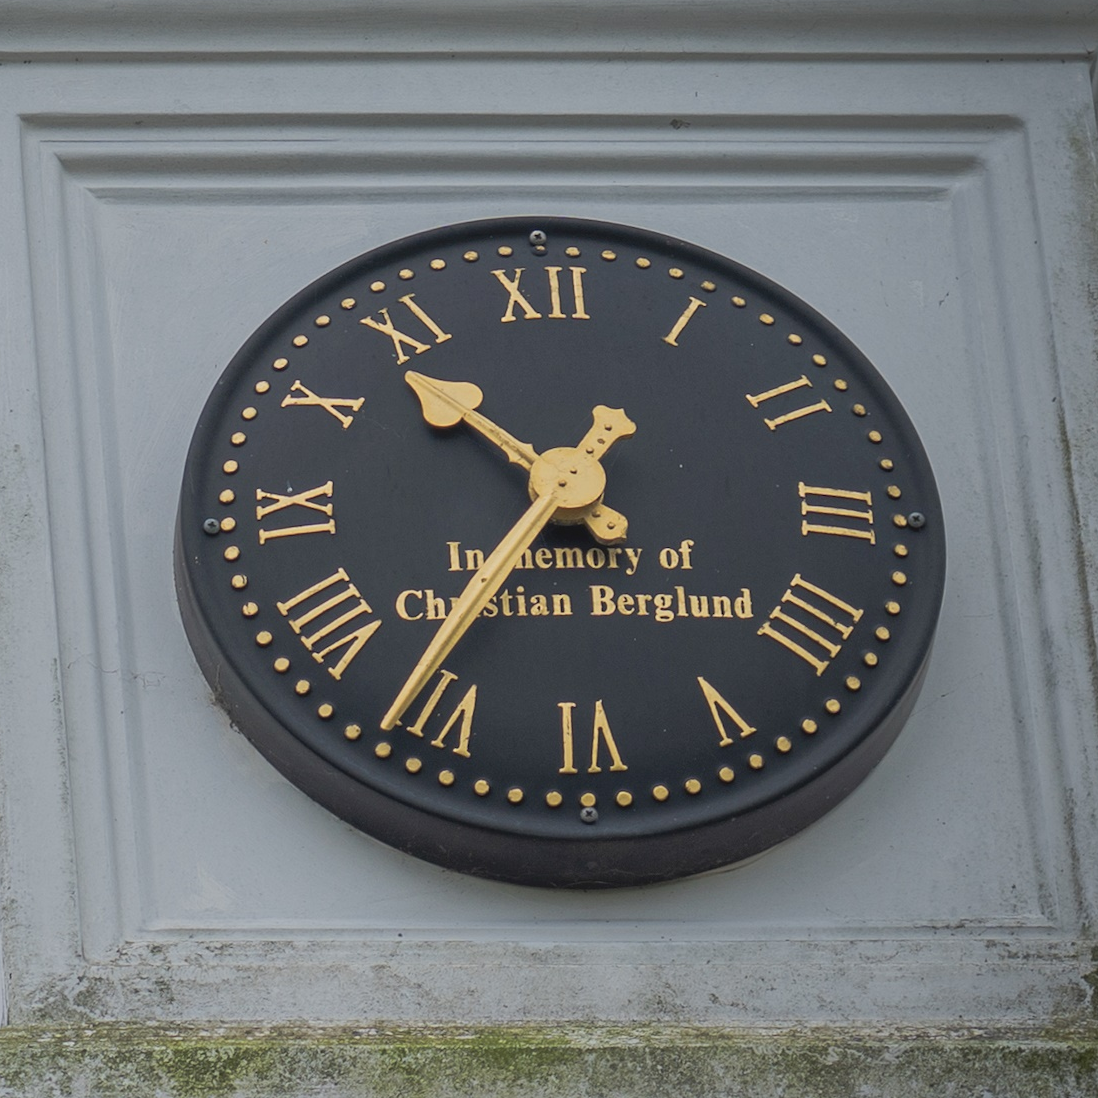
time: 10:36
